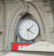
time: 4:07
